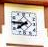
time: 7:45
